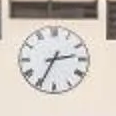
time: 2:34
